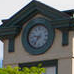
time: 9:36
